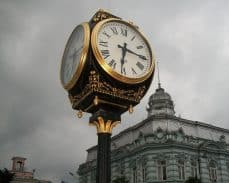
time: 6:15
